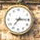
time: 7:15
